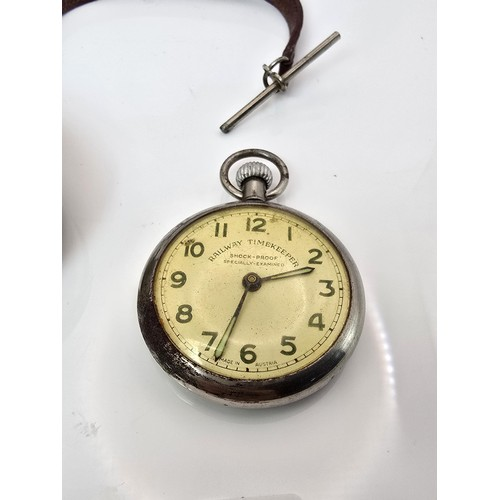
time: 2:33
